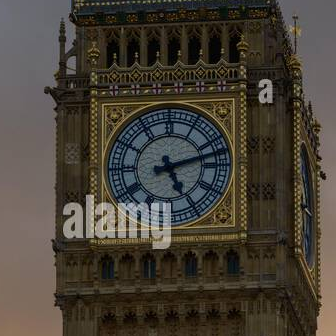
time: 5:12
